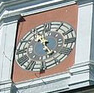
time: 4:57
